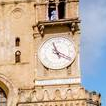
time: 11:19
